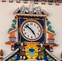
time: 4:52
